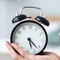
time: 5:22
